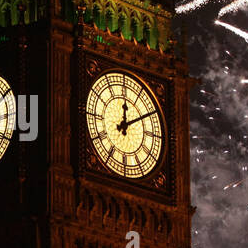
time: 12:09
